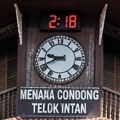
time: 9:41
